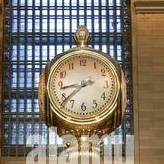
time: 8:38
